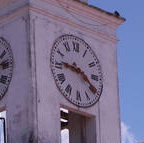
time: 9:20
